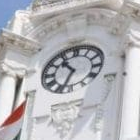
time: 10:33
